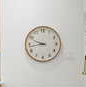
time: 9:43
